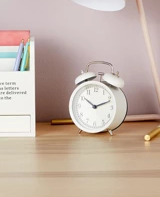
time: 10:11
